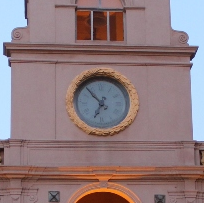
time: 6:53
